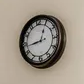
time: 12:43
